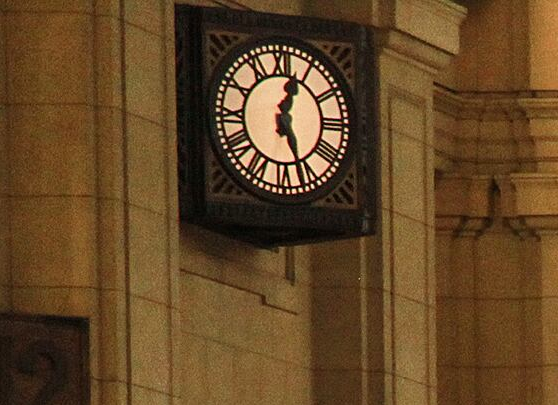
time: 12:26
